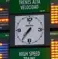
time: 7:36
